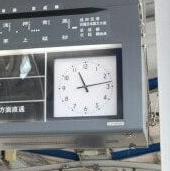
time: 11:13
